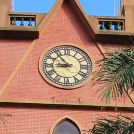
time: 8:53
